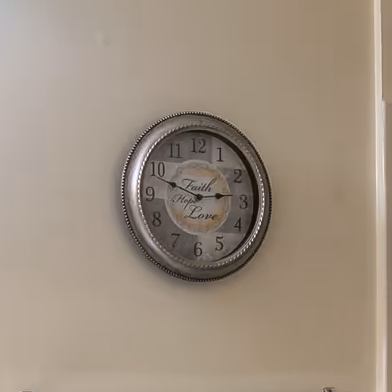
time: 2:48
